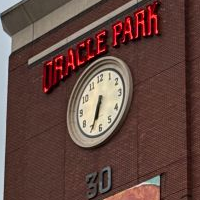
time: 6:34
